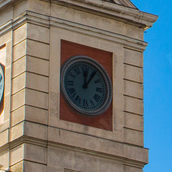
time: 12:06
